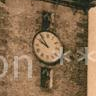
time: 9:53
